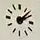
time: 2:07
